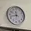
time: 11:42
